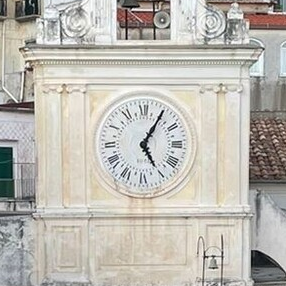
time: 5:05
